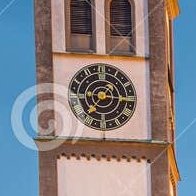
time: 7:15
